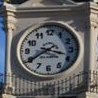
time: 3:39
